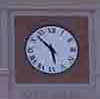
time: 5:52
